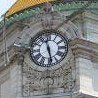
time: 11:28
